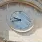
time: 9:42
